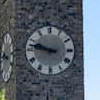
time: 9:47
